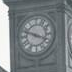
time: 3:48
